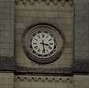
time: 3:28
